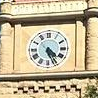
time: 4:26
